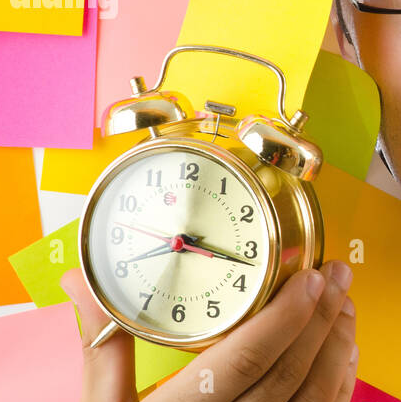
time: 3:17
